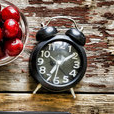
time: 7:09
